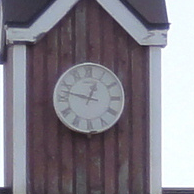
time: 12:47
